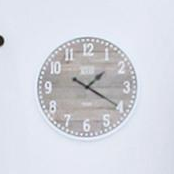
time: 1:20
